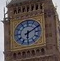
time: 6:10
